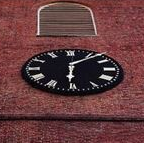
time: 6:08
